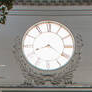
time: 8:20
